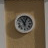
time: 11:03
